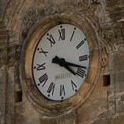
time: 4:18
